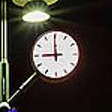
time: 8:59
